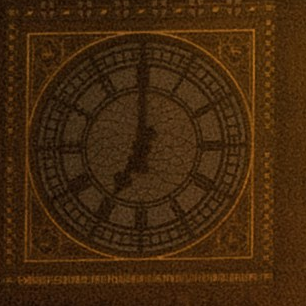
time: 7:00
